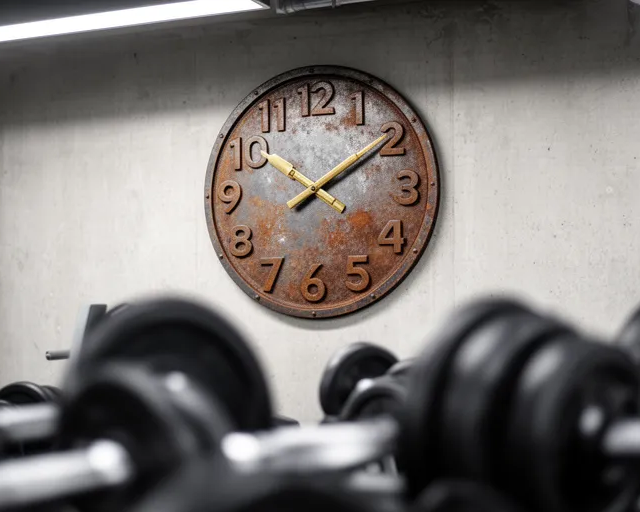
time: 2:09
